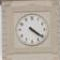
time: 4:20
